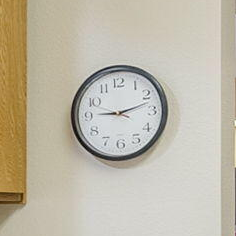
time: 9:12
